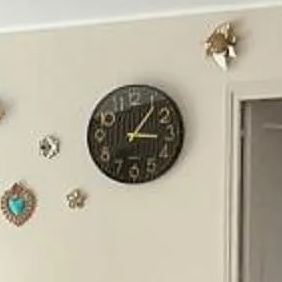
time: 3:06
